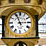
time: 2:56
